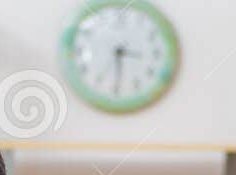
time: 3:29
